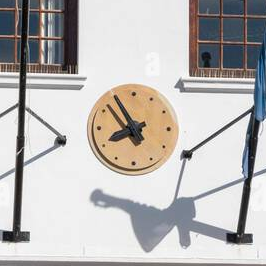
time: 7:54
